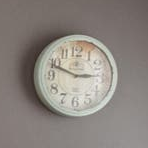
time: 2:48
